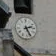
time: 2:25
